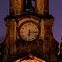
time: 6:15
